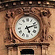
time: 5:12
